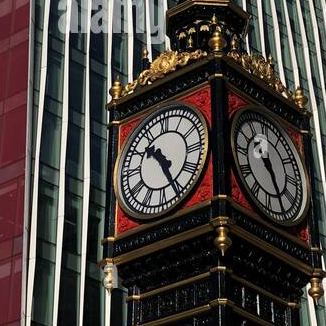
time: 10:25
